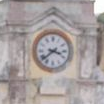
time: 3:38
